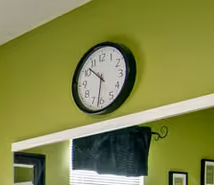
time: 10:31
